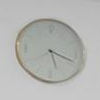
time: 5:18
